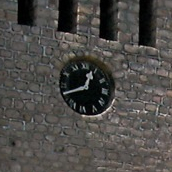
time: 12:41
